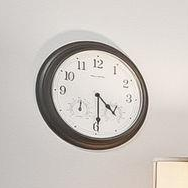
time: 4:29
